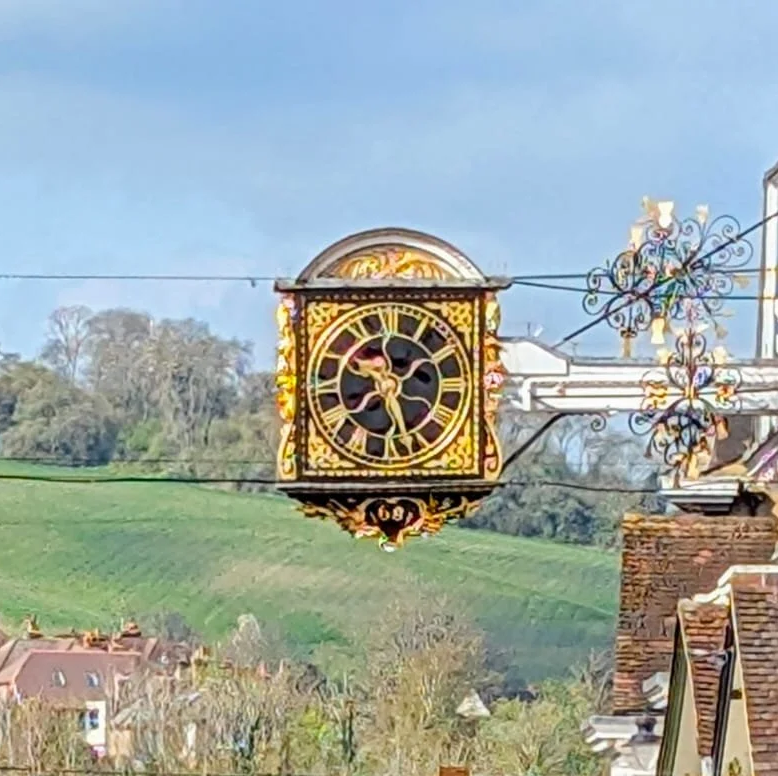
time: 10:27
